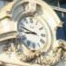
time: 8:47
